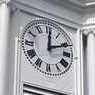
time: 12:10
